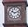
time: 10:12
